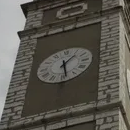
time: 1:28
